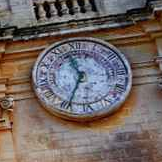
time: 11:34
